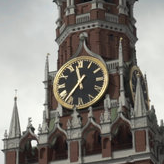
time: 11:36
